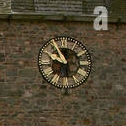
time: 9:54
